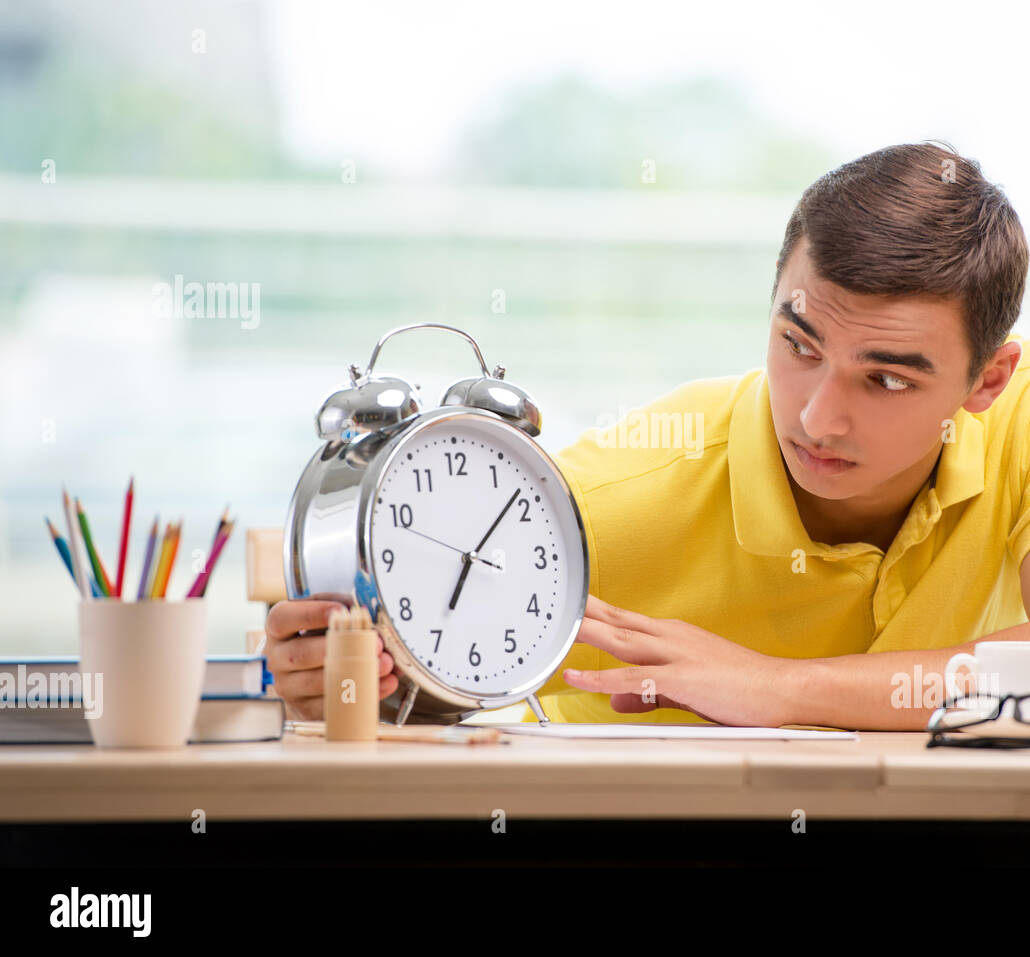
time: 7:08
